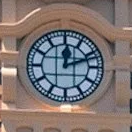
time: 12:11
